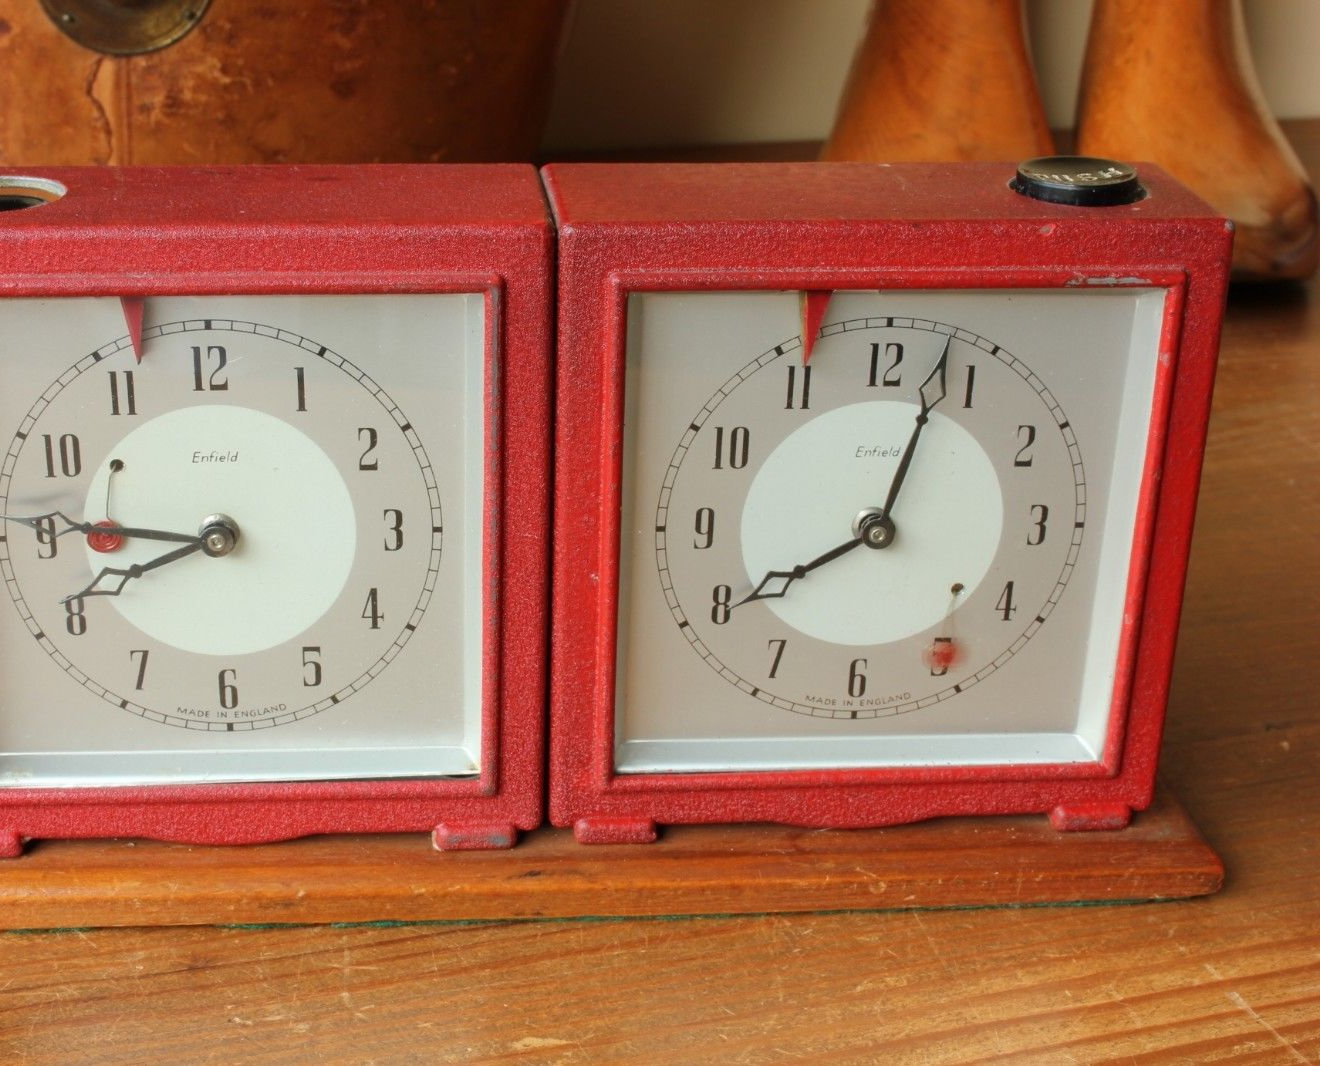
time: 8:03
